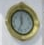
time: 11:33
